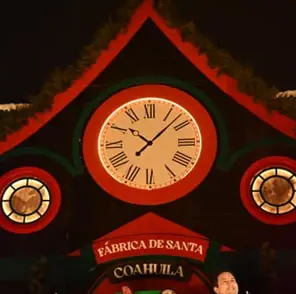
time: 10:07
